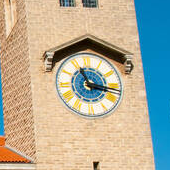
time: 11:16
